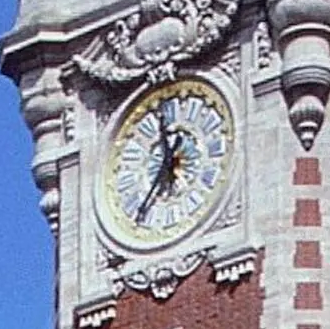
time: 11:35
